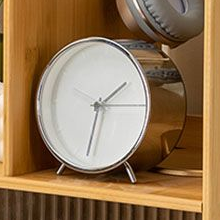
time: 1:32
